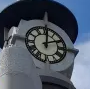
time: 2:00
